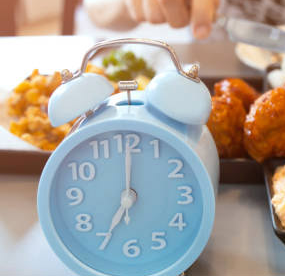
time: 7:00
